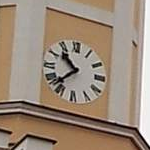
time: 10:37
